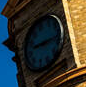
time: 9:15
